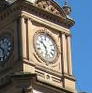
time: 10:28
